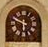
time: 5:49
